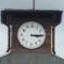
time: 3:14
